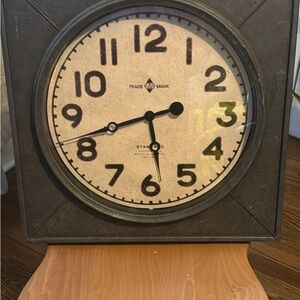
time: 5:42
